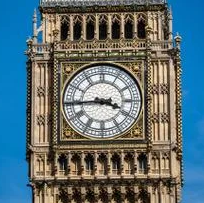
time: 3:44
